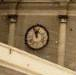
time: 11:55
